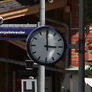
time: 2:59
